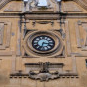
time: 6:15
